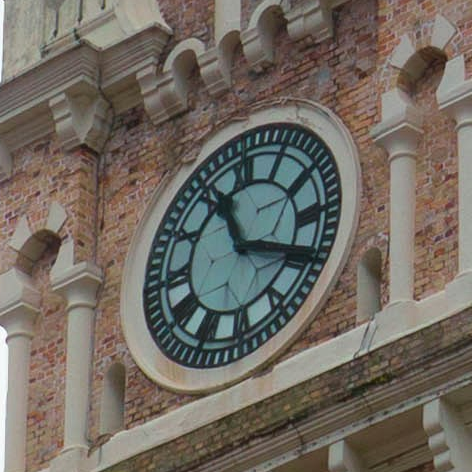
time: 11:19
